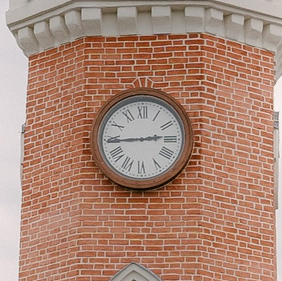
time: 2:44
